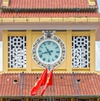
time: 10:42
